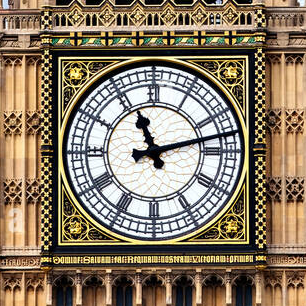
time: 11:12
